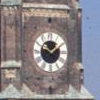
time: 1:50
